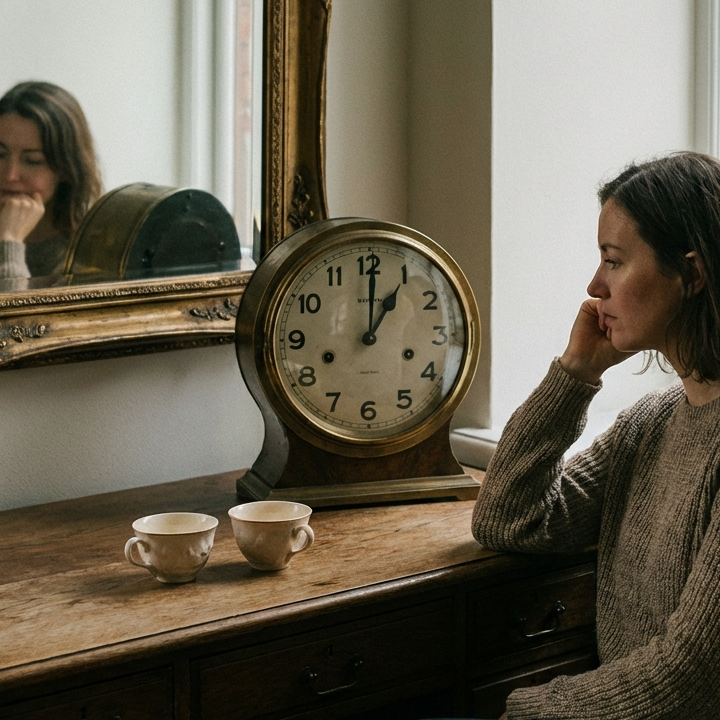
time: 1:00
